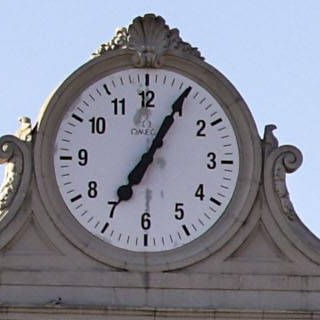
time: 7:04
